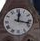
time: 12:17
